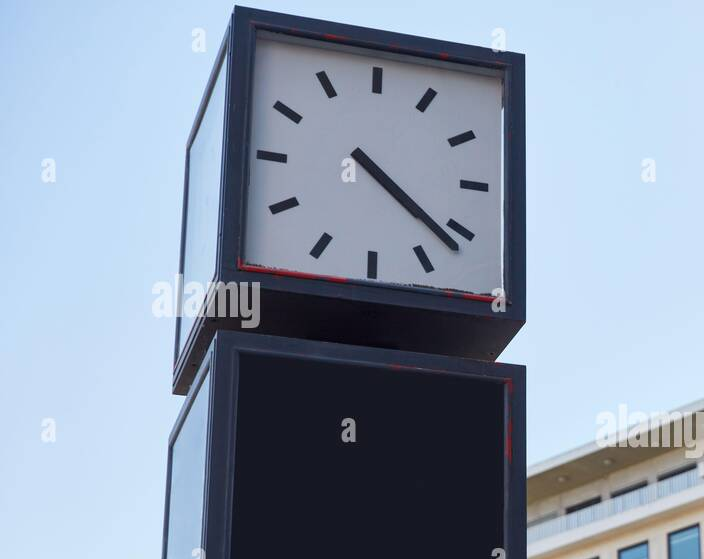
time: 4:21
